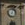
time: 7:03
